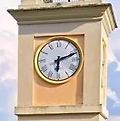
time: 6:11
